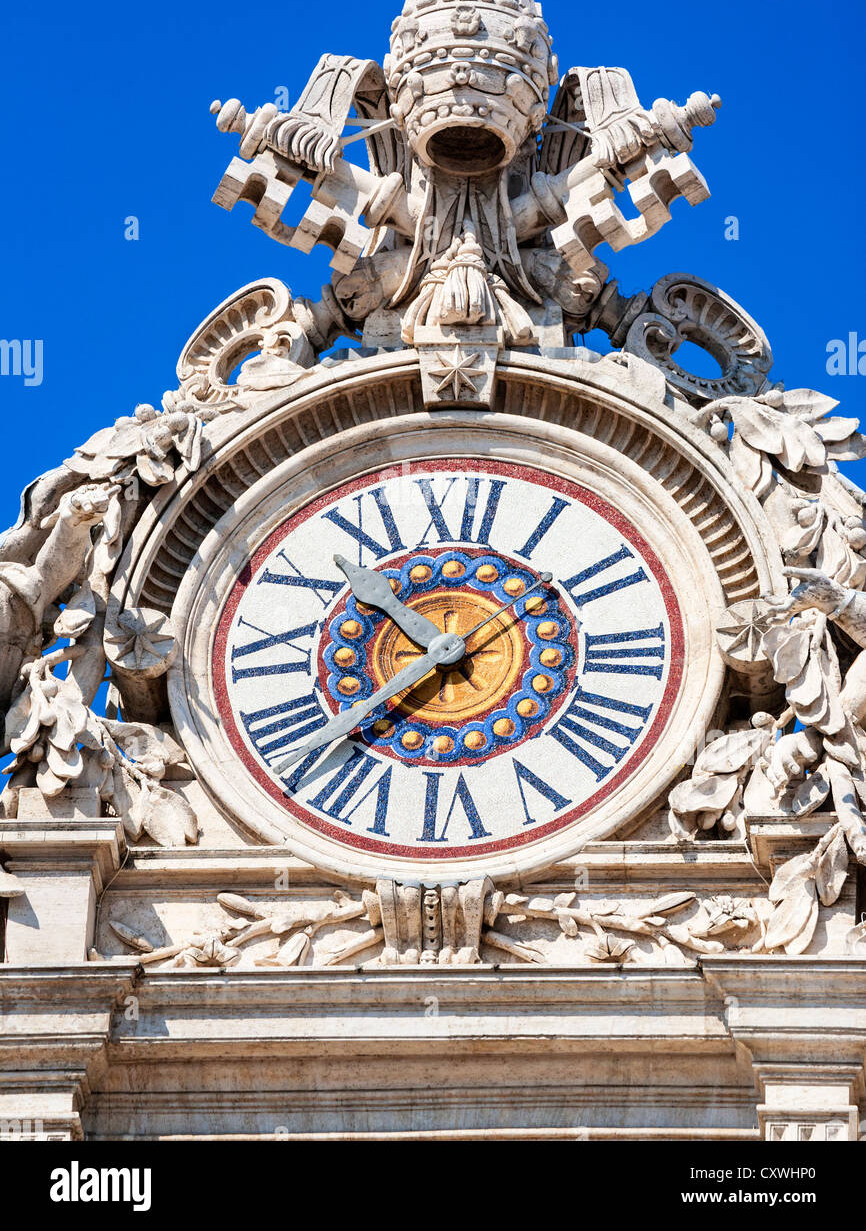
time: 10:37
